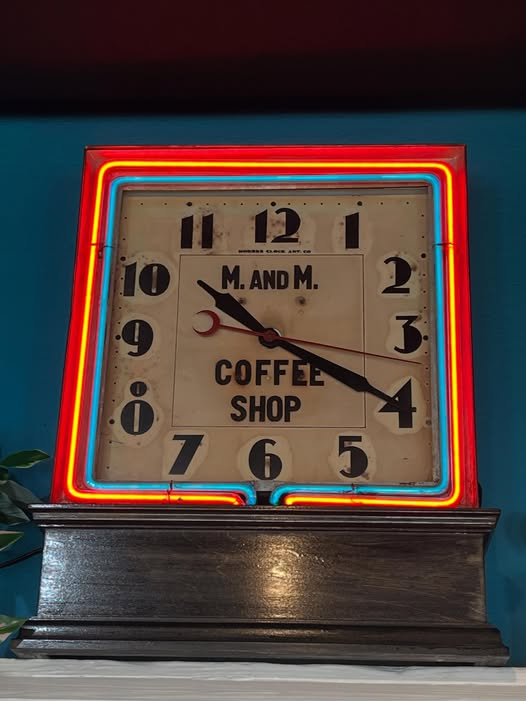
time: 10:20
